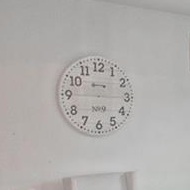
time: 6:45
